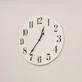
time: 12:36
